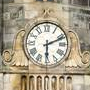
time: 6:11
